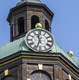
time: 11:33
